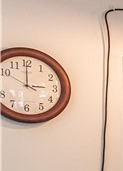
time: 2:59
